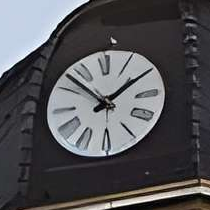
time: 1:52
